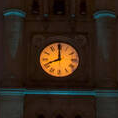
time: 7:59
